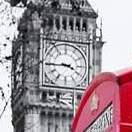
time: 3:44
